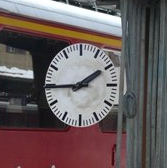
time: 1:44
